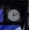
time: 12:12
